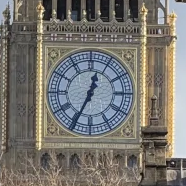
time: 12:34
